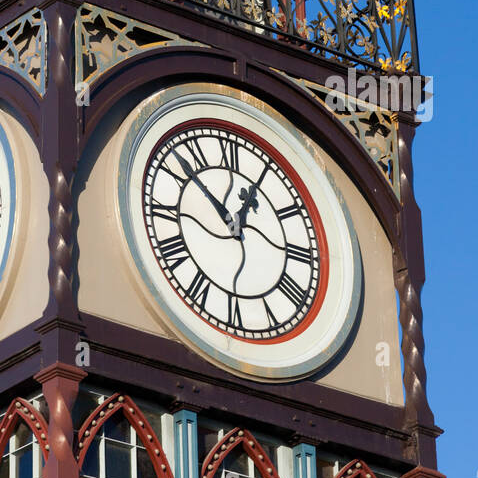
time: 12:52
